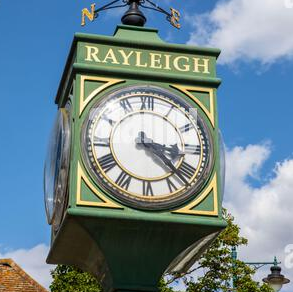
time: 3:22
